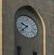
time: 9:38
